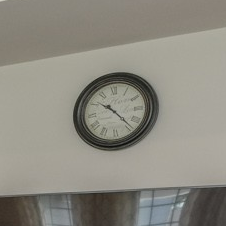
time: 10:23
